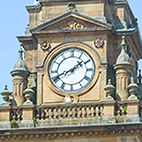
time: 1:41
